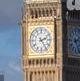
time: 2:23
